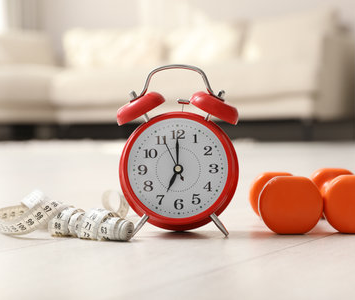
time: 7:00
